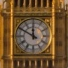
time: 11:49
